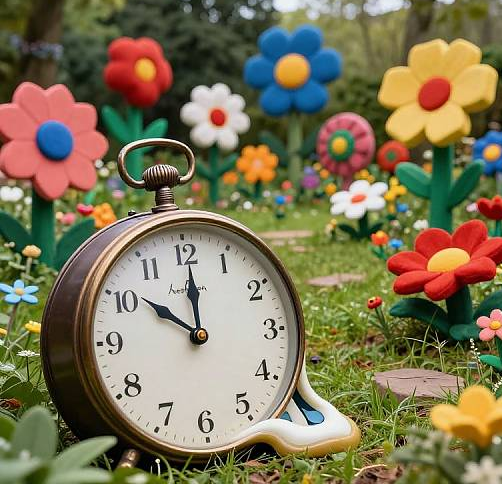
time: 10:00
